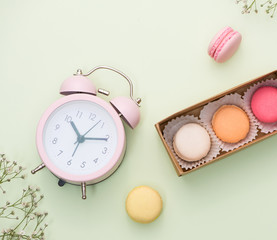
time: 11:16
